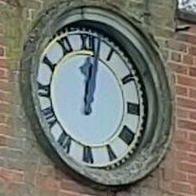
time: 12:02
